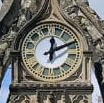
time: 12:10
